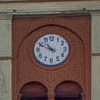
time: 10:49
